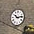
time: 10:13
